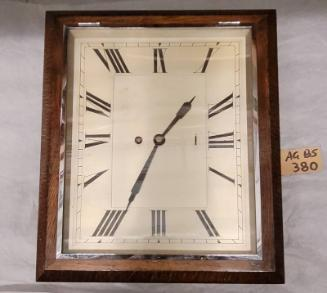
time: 1:34
